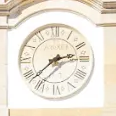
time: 2:38
